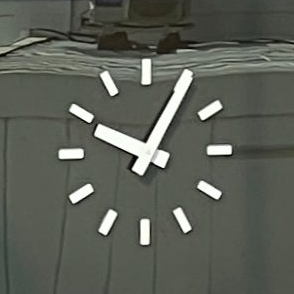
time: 10:04
